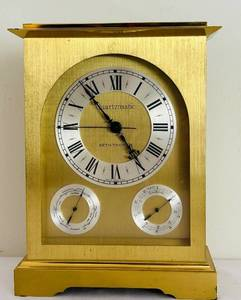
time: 4:53
